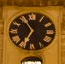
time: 6:55
